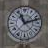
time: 11:12
